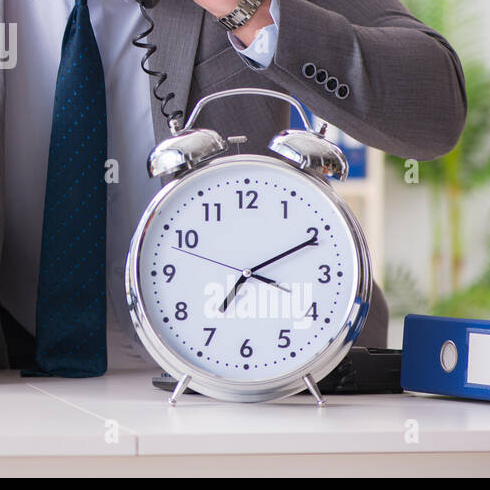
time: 7:10
